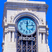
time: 12:13
